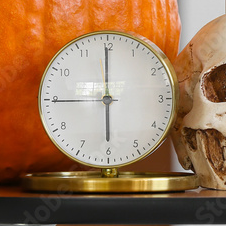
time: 5:59
